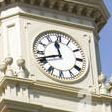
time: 11:41
